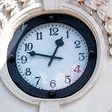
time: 12:47
